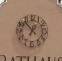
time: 6:52
